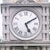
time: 5:09
